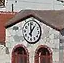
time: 12:58
